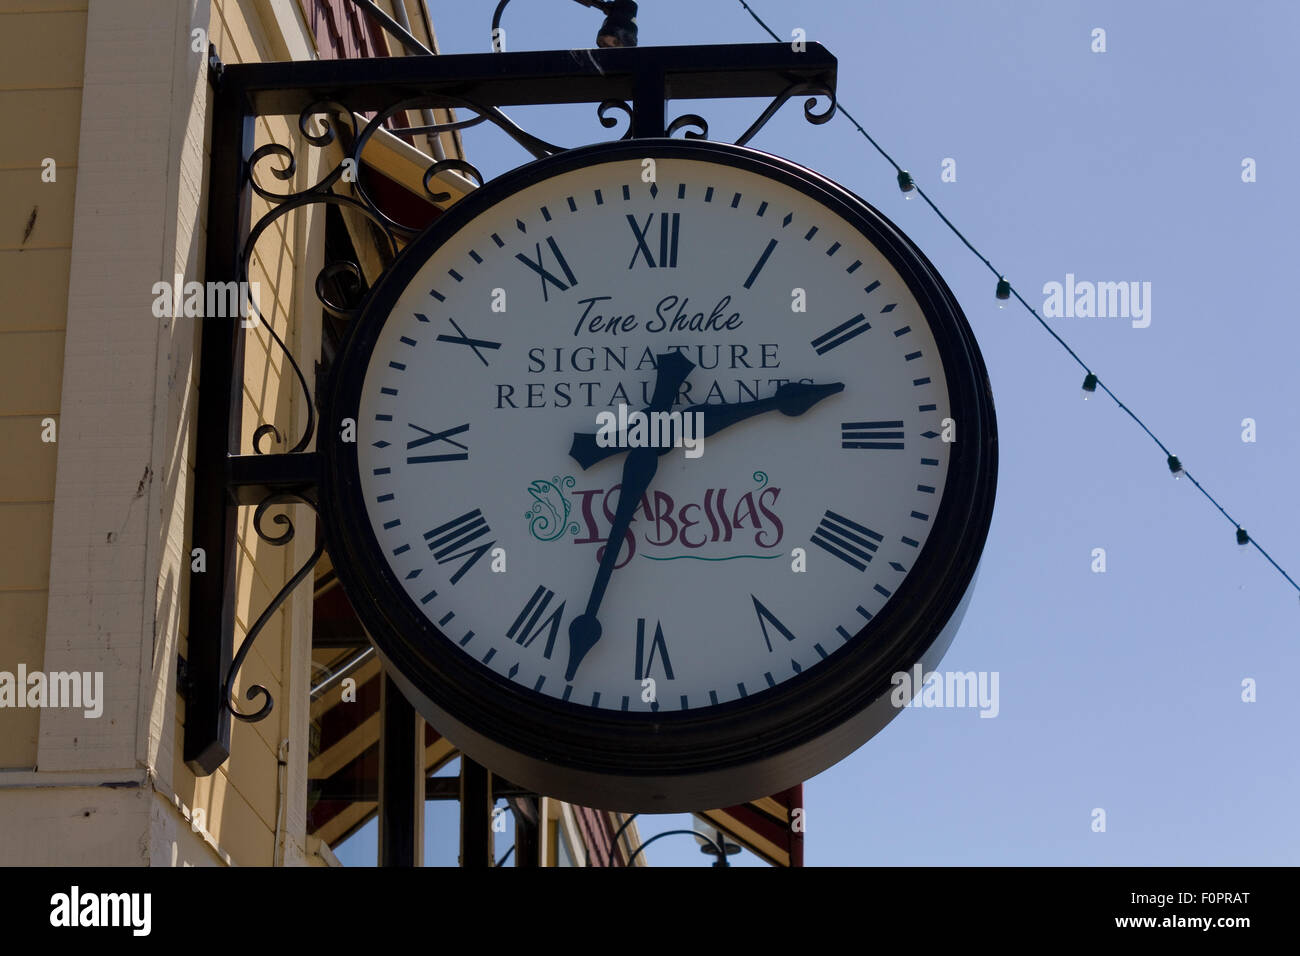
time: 2:32
